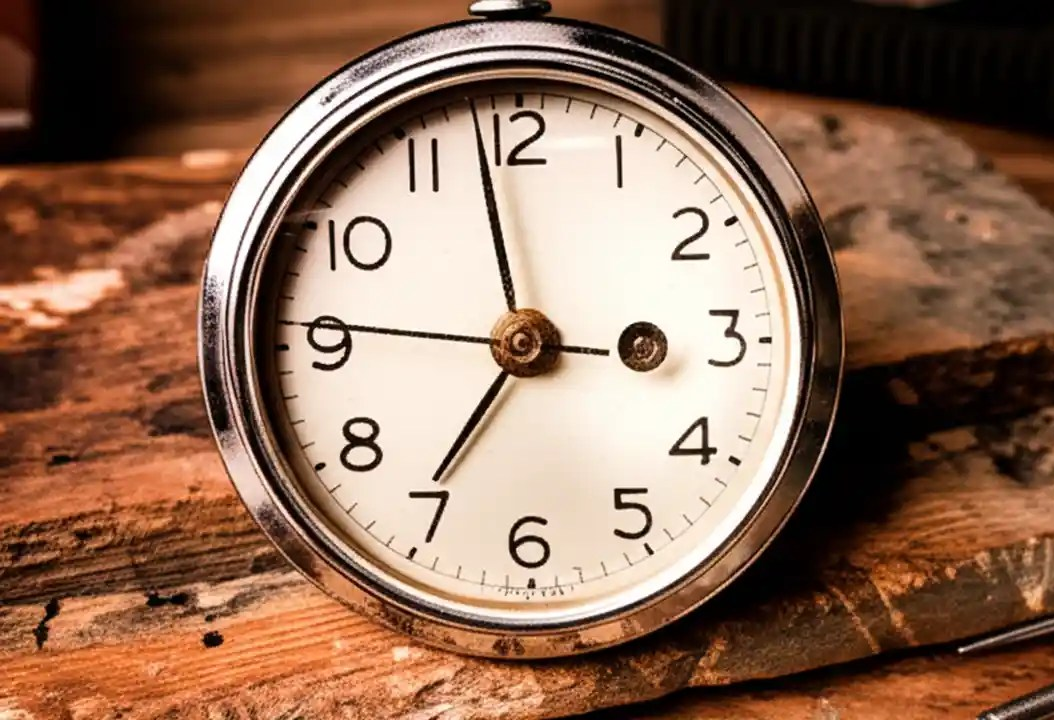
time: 6:58
